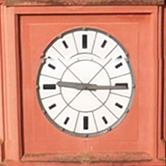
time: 9:15
